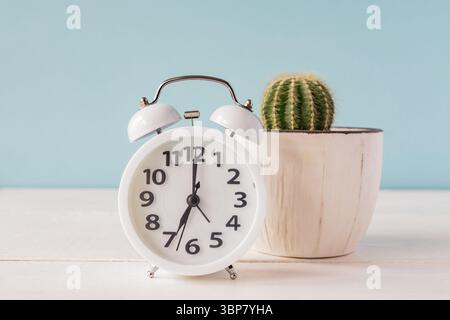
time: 7:00
